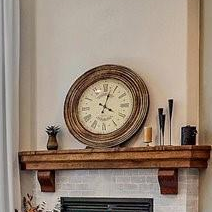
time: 4:02
